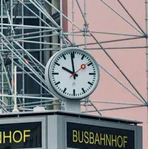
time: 9:58
